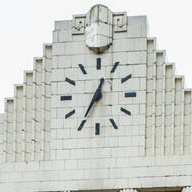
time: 12:34
